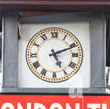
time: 5:11
